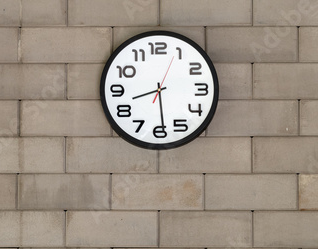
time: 8:29
